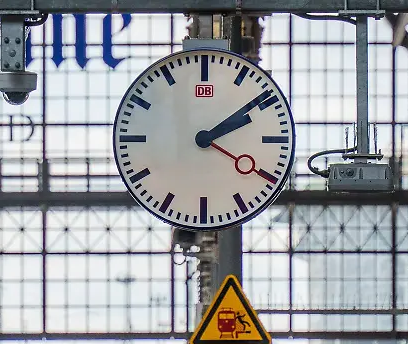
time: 2:09
